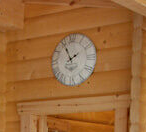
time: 1:56
